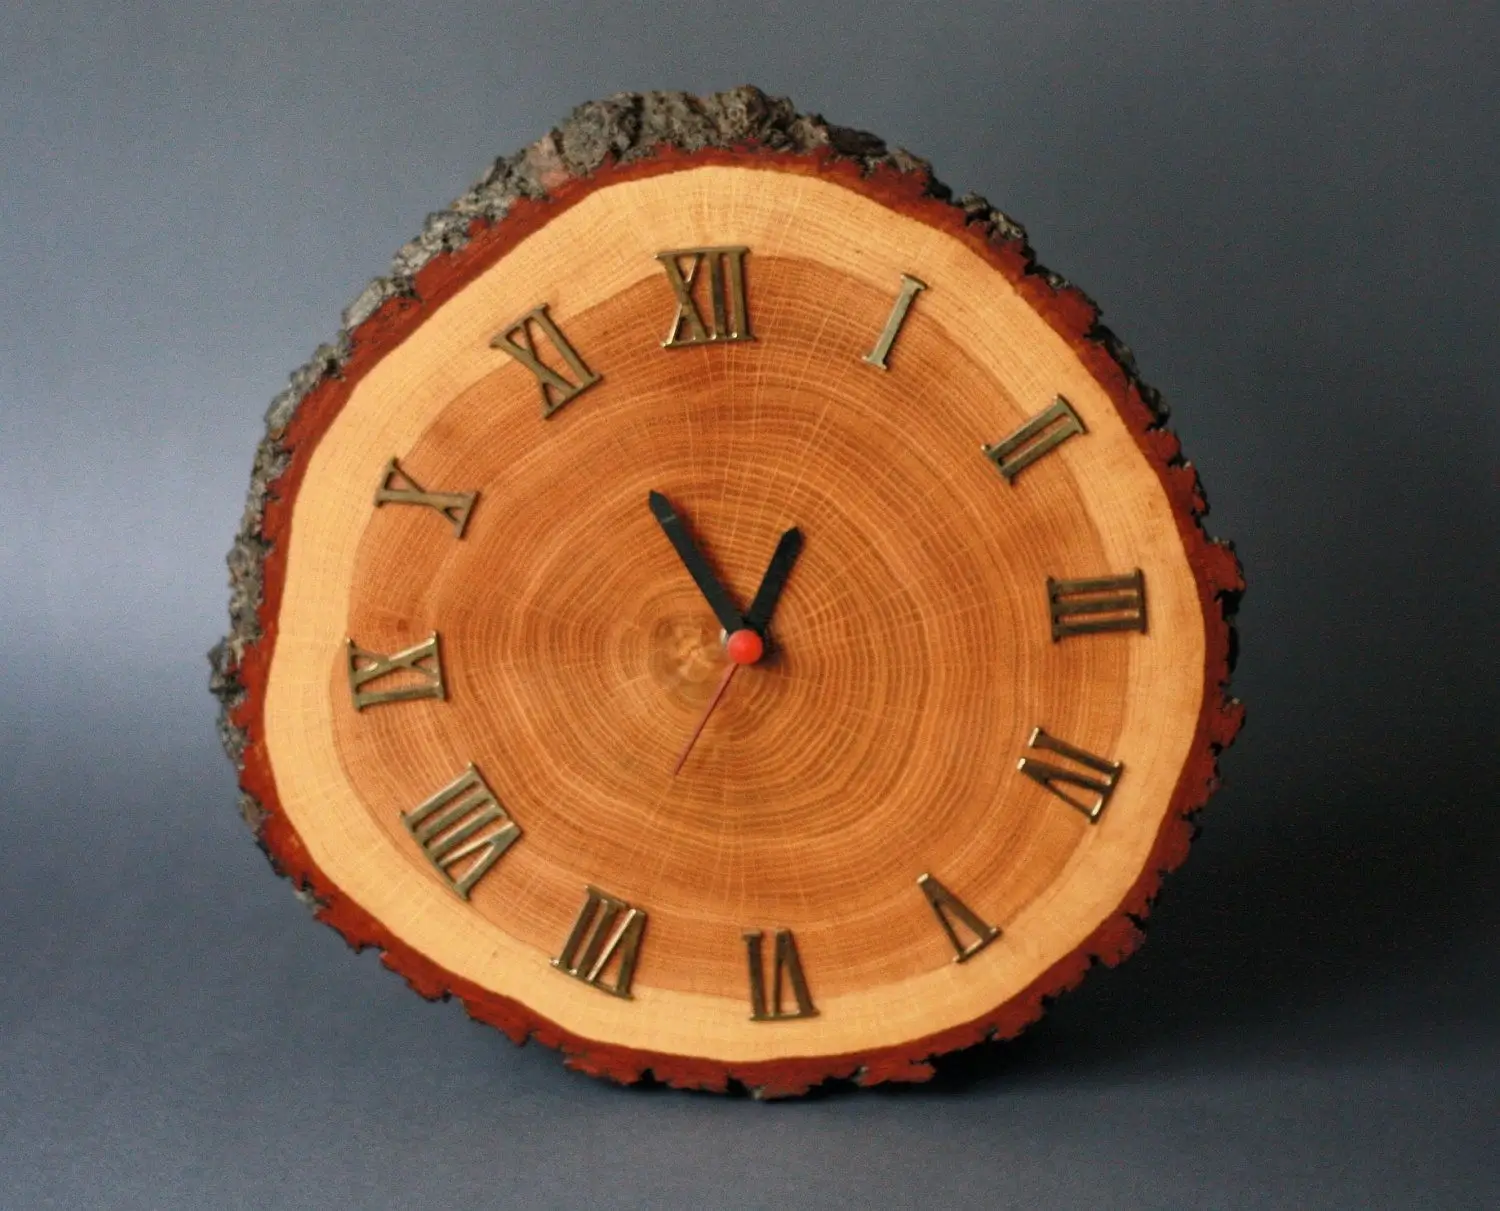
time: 12:55
